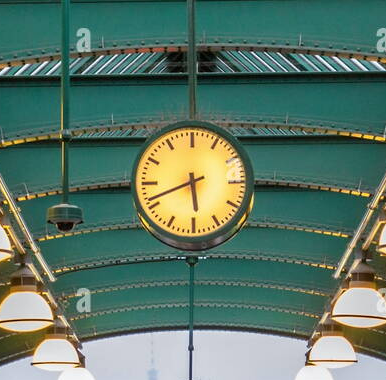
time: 5:41
